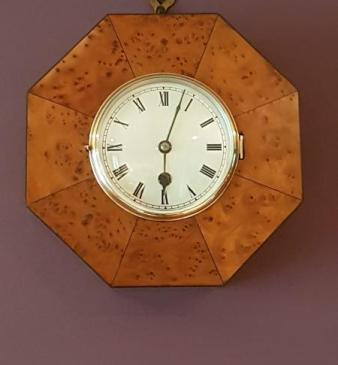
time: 6:03
